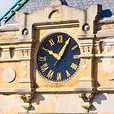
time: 10:05
